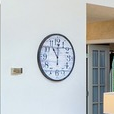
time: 11:00
